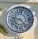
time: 9:22
